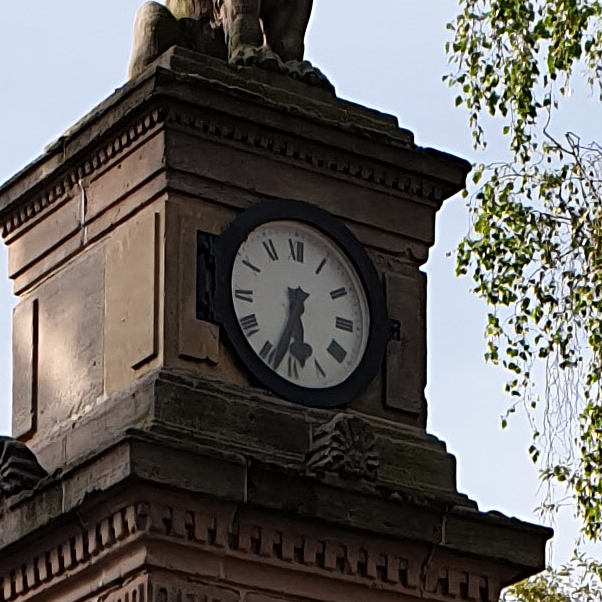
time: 5:33
